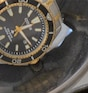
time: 2:23
